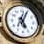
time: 5:04
